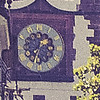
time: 1:33
